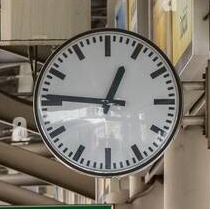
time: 12:46
